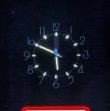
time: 5:49
